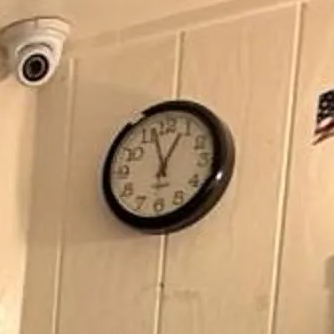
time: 12:57
